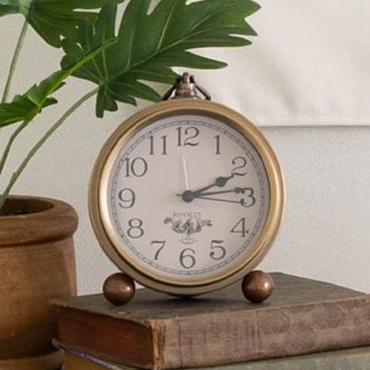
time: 2:14
